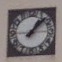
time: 1:07
